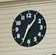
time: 1:34
